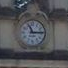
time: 11:14
